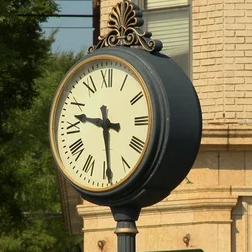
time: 9:29
